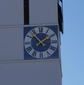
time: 1:53
